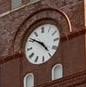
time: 4:51
